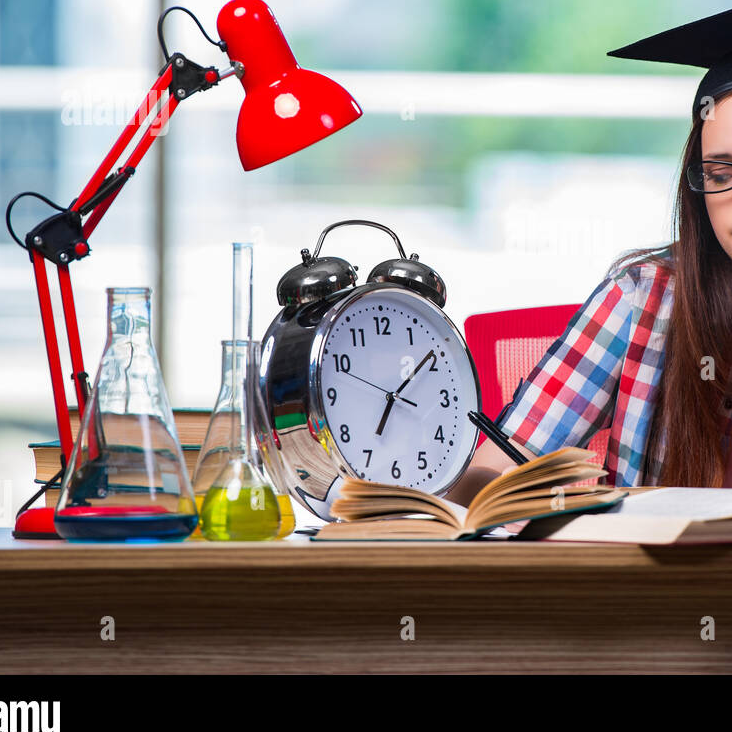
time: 7:08
